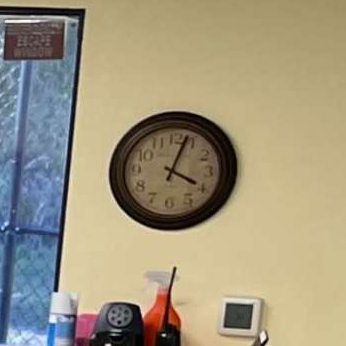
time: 4:03
